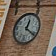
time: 12:20
